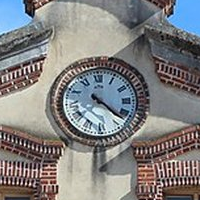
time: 4:22
